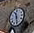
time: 11:28
